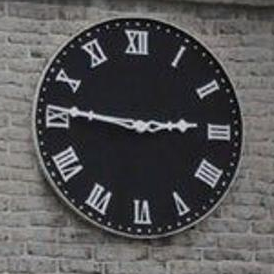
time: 2:46
